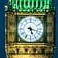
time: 5:17
